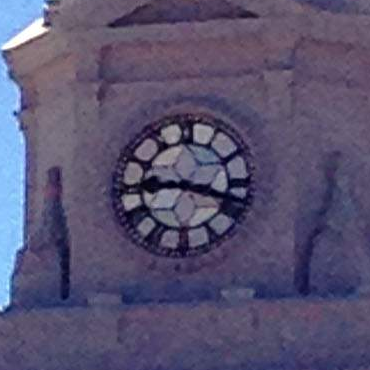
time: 9:17
